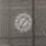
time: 7:07
